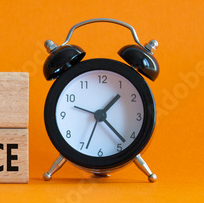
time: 1:22
